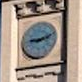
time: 9:11
